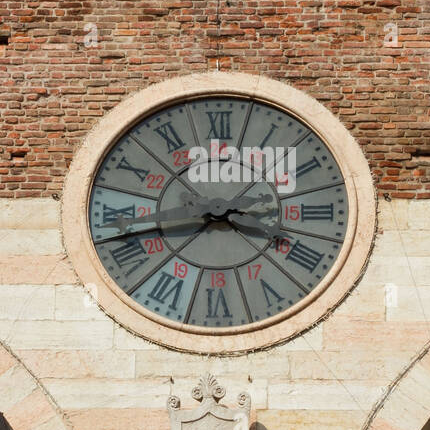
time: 3:42
